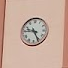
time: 9:25
